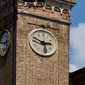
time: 2:48
